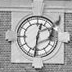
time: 12:31
